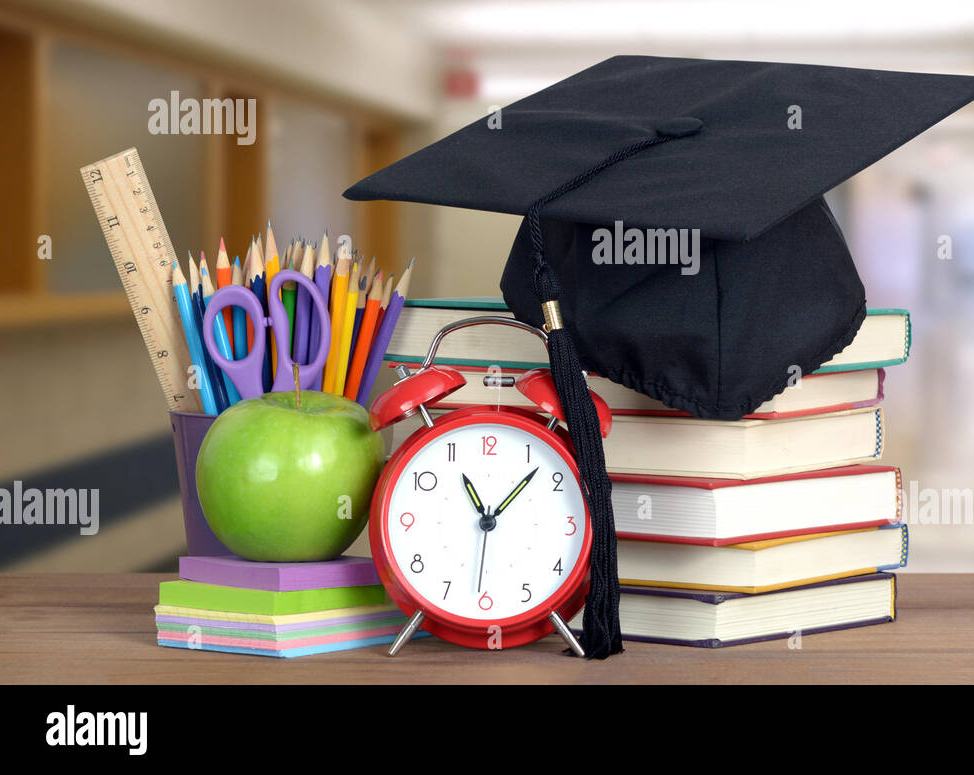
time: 11:07
